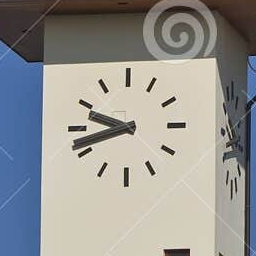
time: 9:42
